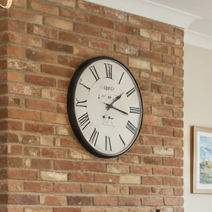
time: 1:16
